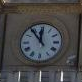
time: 11:53
